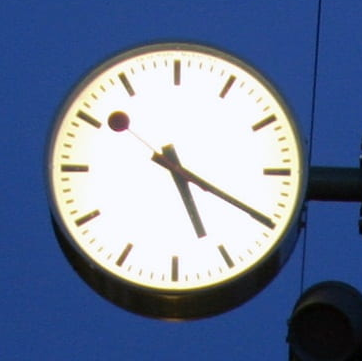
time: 5:19
